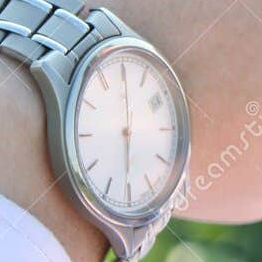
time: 6:00
